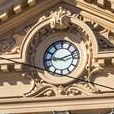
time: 9:11
